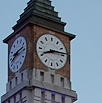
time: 8:13
